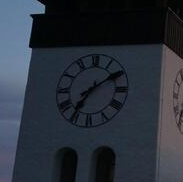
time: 7:09
